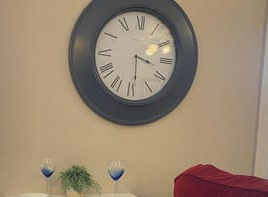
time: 3:29
